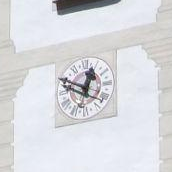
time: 12:49
